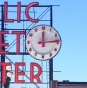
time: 12:13
